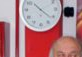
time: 10:21
